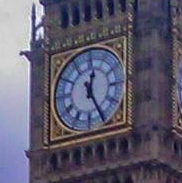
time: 12:25
